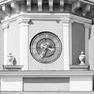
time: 2:33
